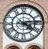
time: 4:13
